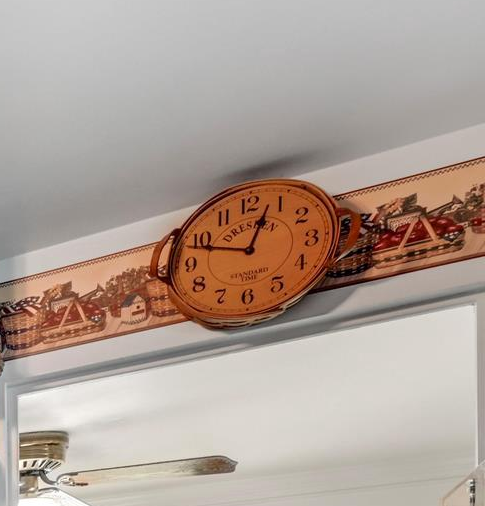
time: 12:47
